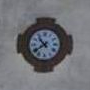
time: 10:38
